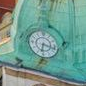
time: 6:17
